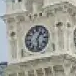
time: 1:28
